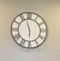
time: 5:57
